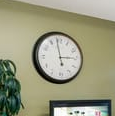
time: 2:58
